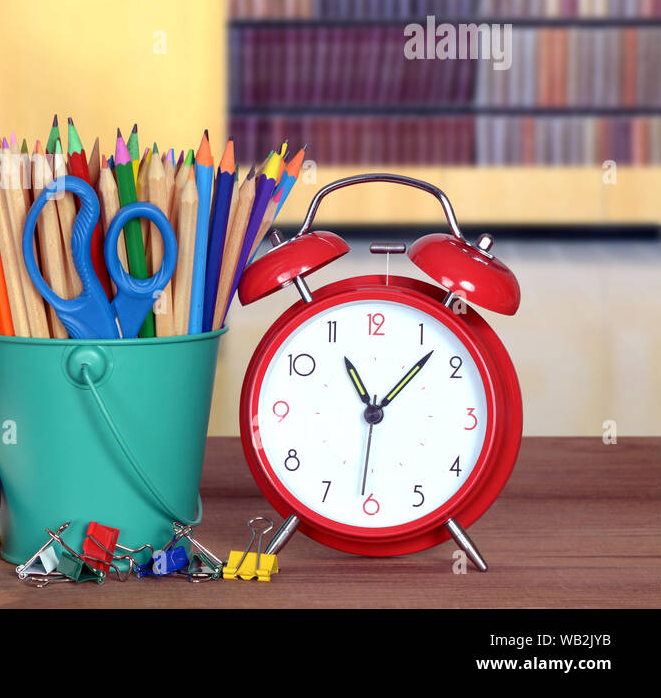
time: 11:07
